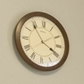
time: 3:54
